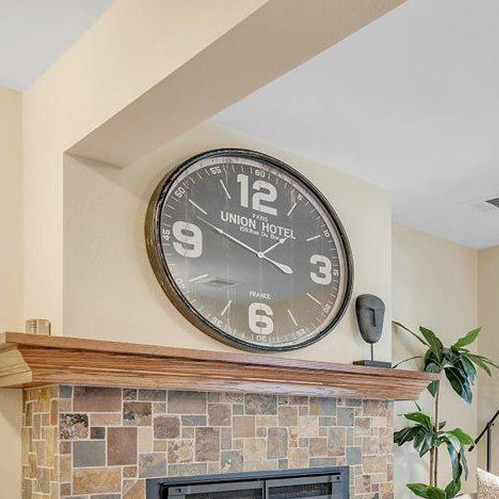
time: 3:48
